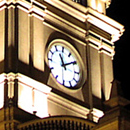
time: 11:09
